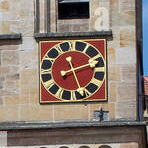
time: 11:11
